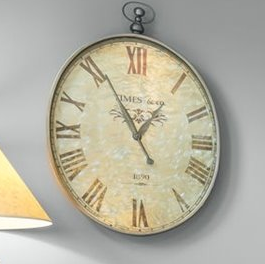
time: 12:55
